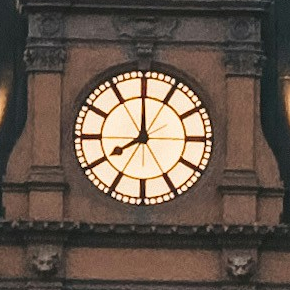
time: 7:59
